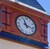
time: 11:17
